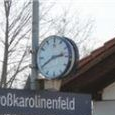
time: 2:40
